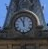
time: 11:56
